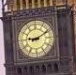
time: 9:10
